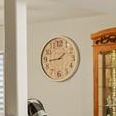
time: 1:43
